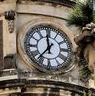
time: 11:36
